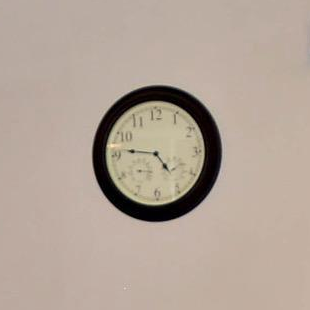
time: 4:46
